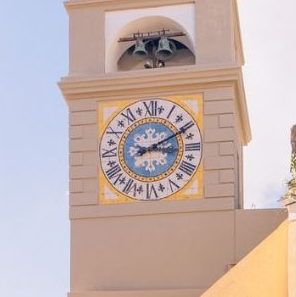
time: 8:10
